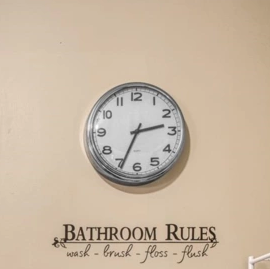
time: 2:34
